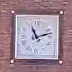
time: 11:12
